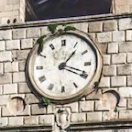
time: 1:18
